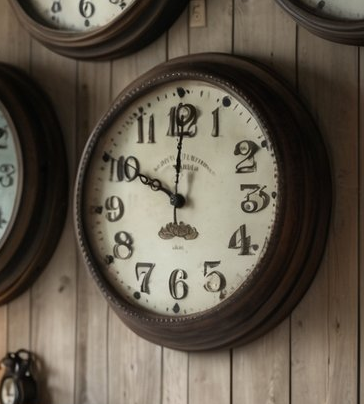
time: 10:00
